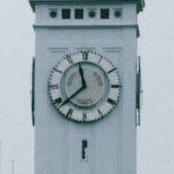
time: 11:38
